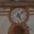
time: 5:08
